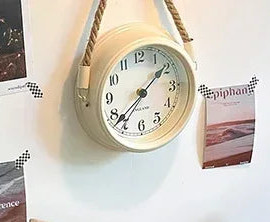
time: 1:37
